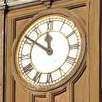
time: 11:50
